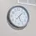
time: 5:07
